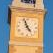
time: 4:57
